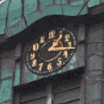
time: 1:16
